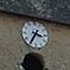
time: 3:35
